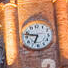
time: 6:47
